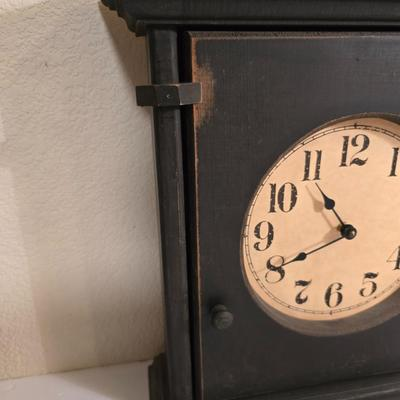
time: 10:40
